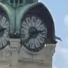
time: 2:38
